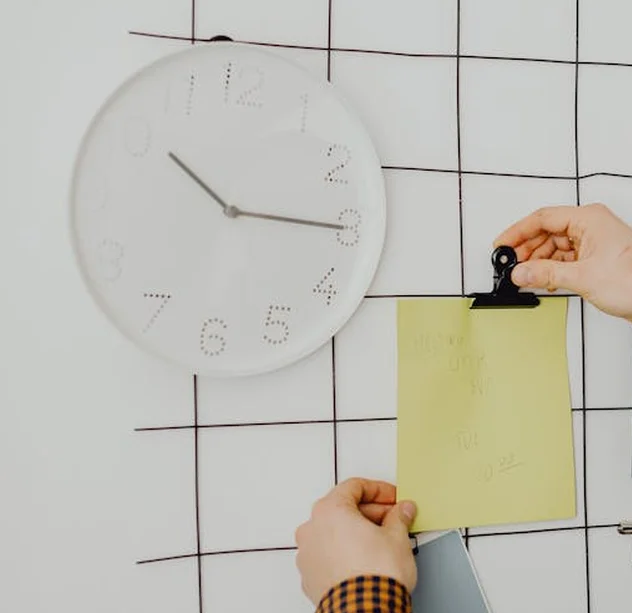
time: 10:15
